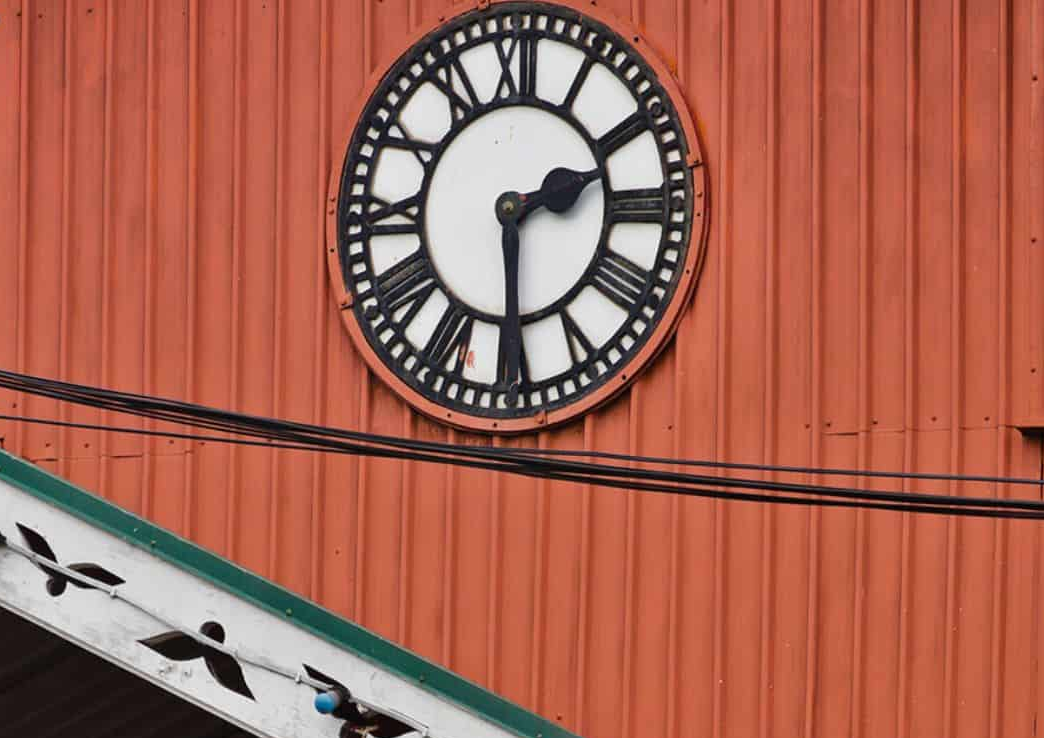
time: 2:29
